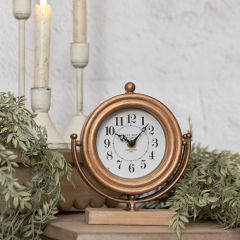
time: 10:07
